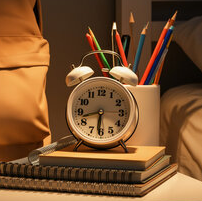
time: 8:31
